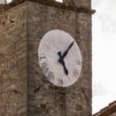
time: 5:06
